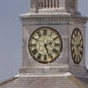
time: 2:26
